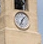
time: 1:33
